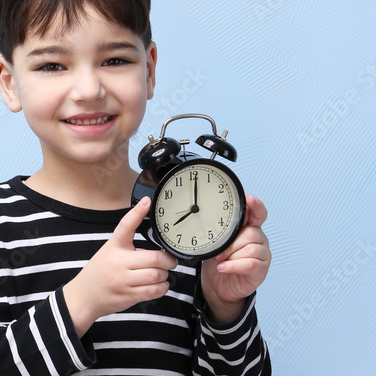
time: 8:00
